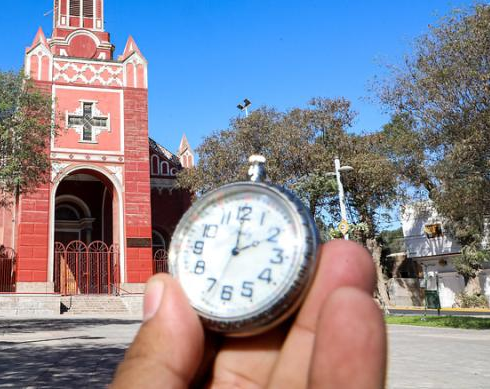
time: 2:00
